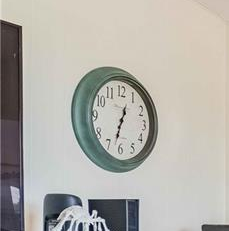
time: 12:32
